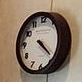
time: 4:20
